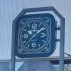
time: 1:37
